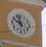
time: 9:57
